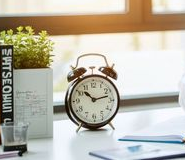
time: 10:12
